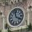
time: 3:58
